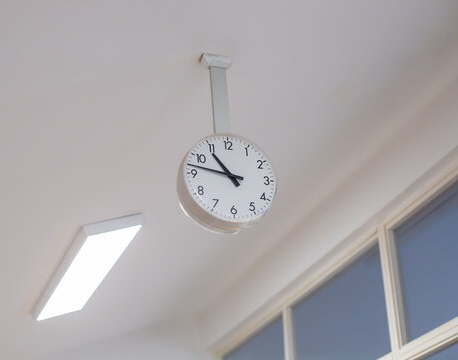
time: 10:47
